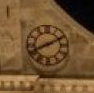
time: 8:10
